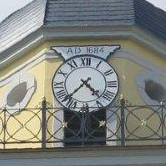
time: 4:37
